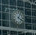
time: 4:04
